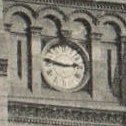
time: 2:46
